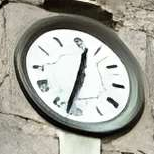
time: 12:32
